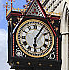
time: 6:05
